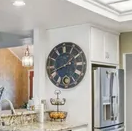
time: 1:41
